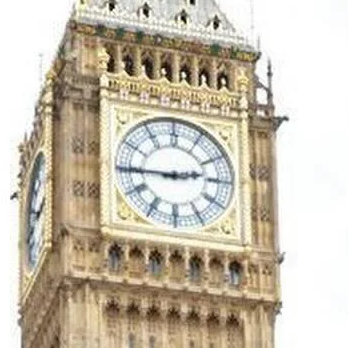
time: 2:45
